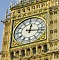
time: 12:16
